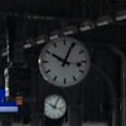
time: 10:04
